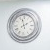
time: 1:57
